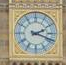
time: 2:18
